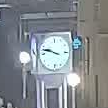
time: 9:47
